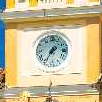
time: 1:35
